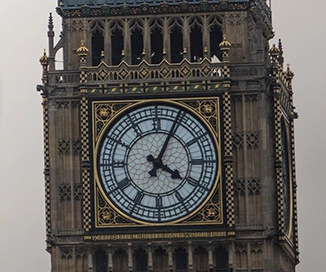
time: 4:04
